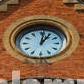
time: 1:01
